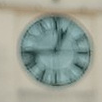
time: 12:43
